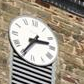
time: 2:35
